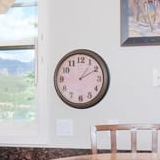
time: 1:10
